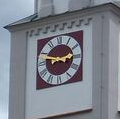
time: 2:48
